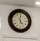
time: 5:01
